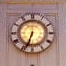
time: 6:33
